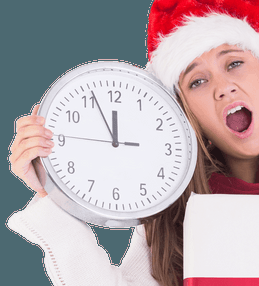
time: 11:55
